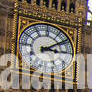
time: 3:09
